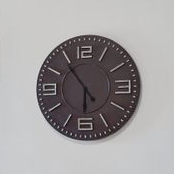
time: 5:54
